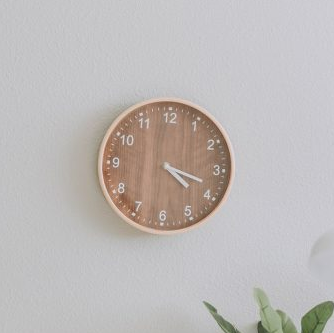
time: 4:18
